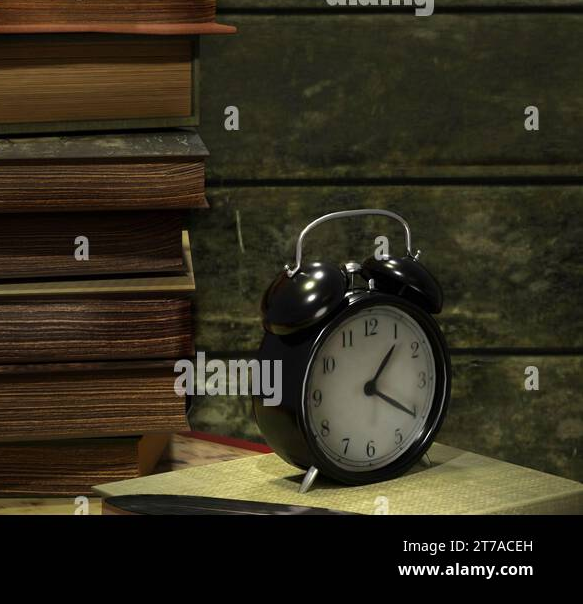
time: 1:20
